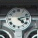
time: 4:12
